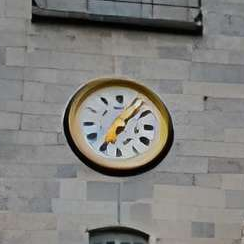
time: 7:07
